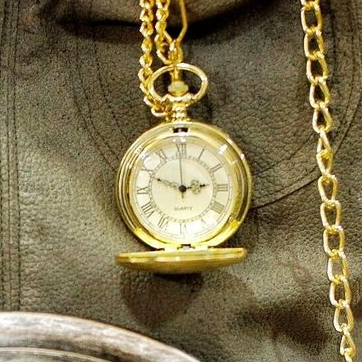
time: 2:48
